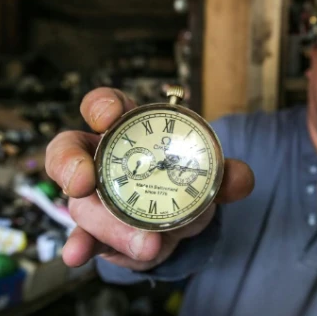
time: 8:15
